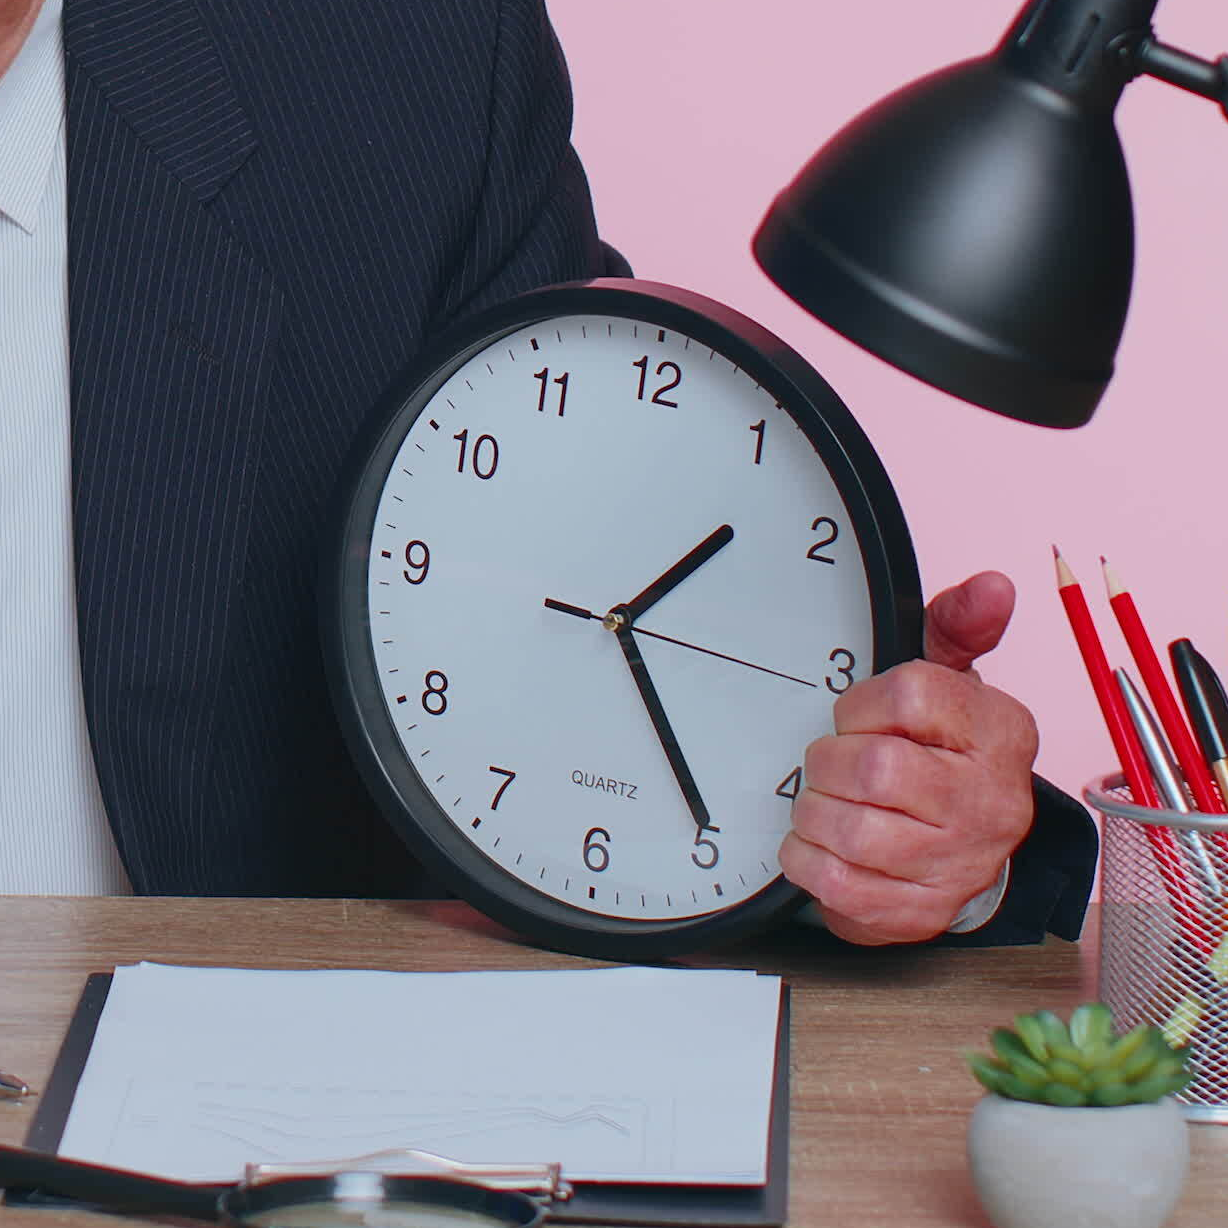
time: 1:24
